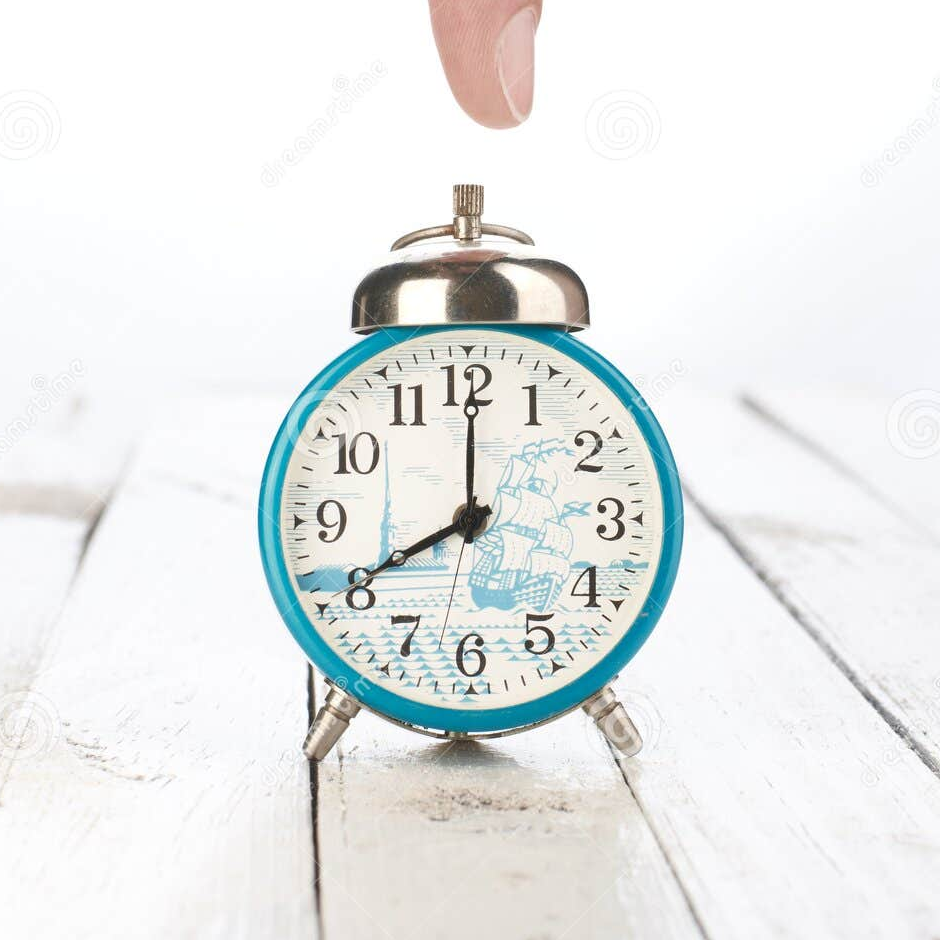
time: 8:00
